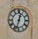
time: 12:32
